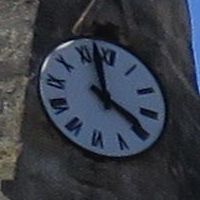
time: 3:57
